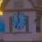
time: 11:35
